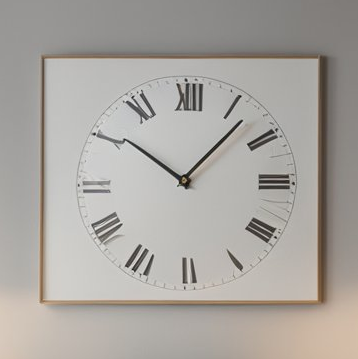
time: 10:07
